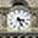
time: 3:26
